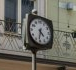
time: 4:32
